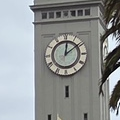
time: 12:09
